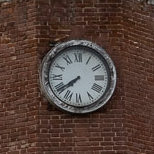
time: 7:39
